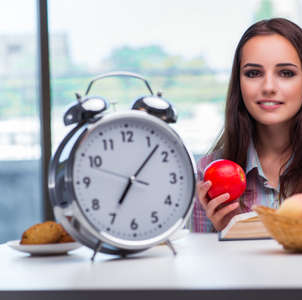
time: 7:07
